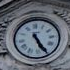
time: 11:25
